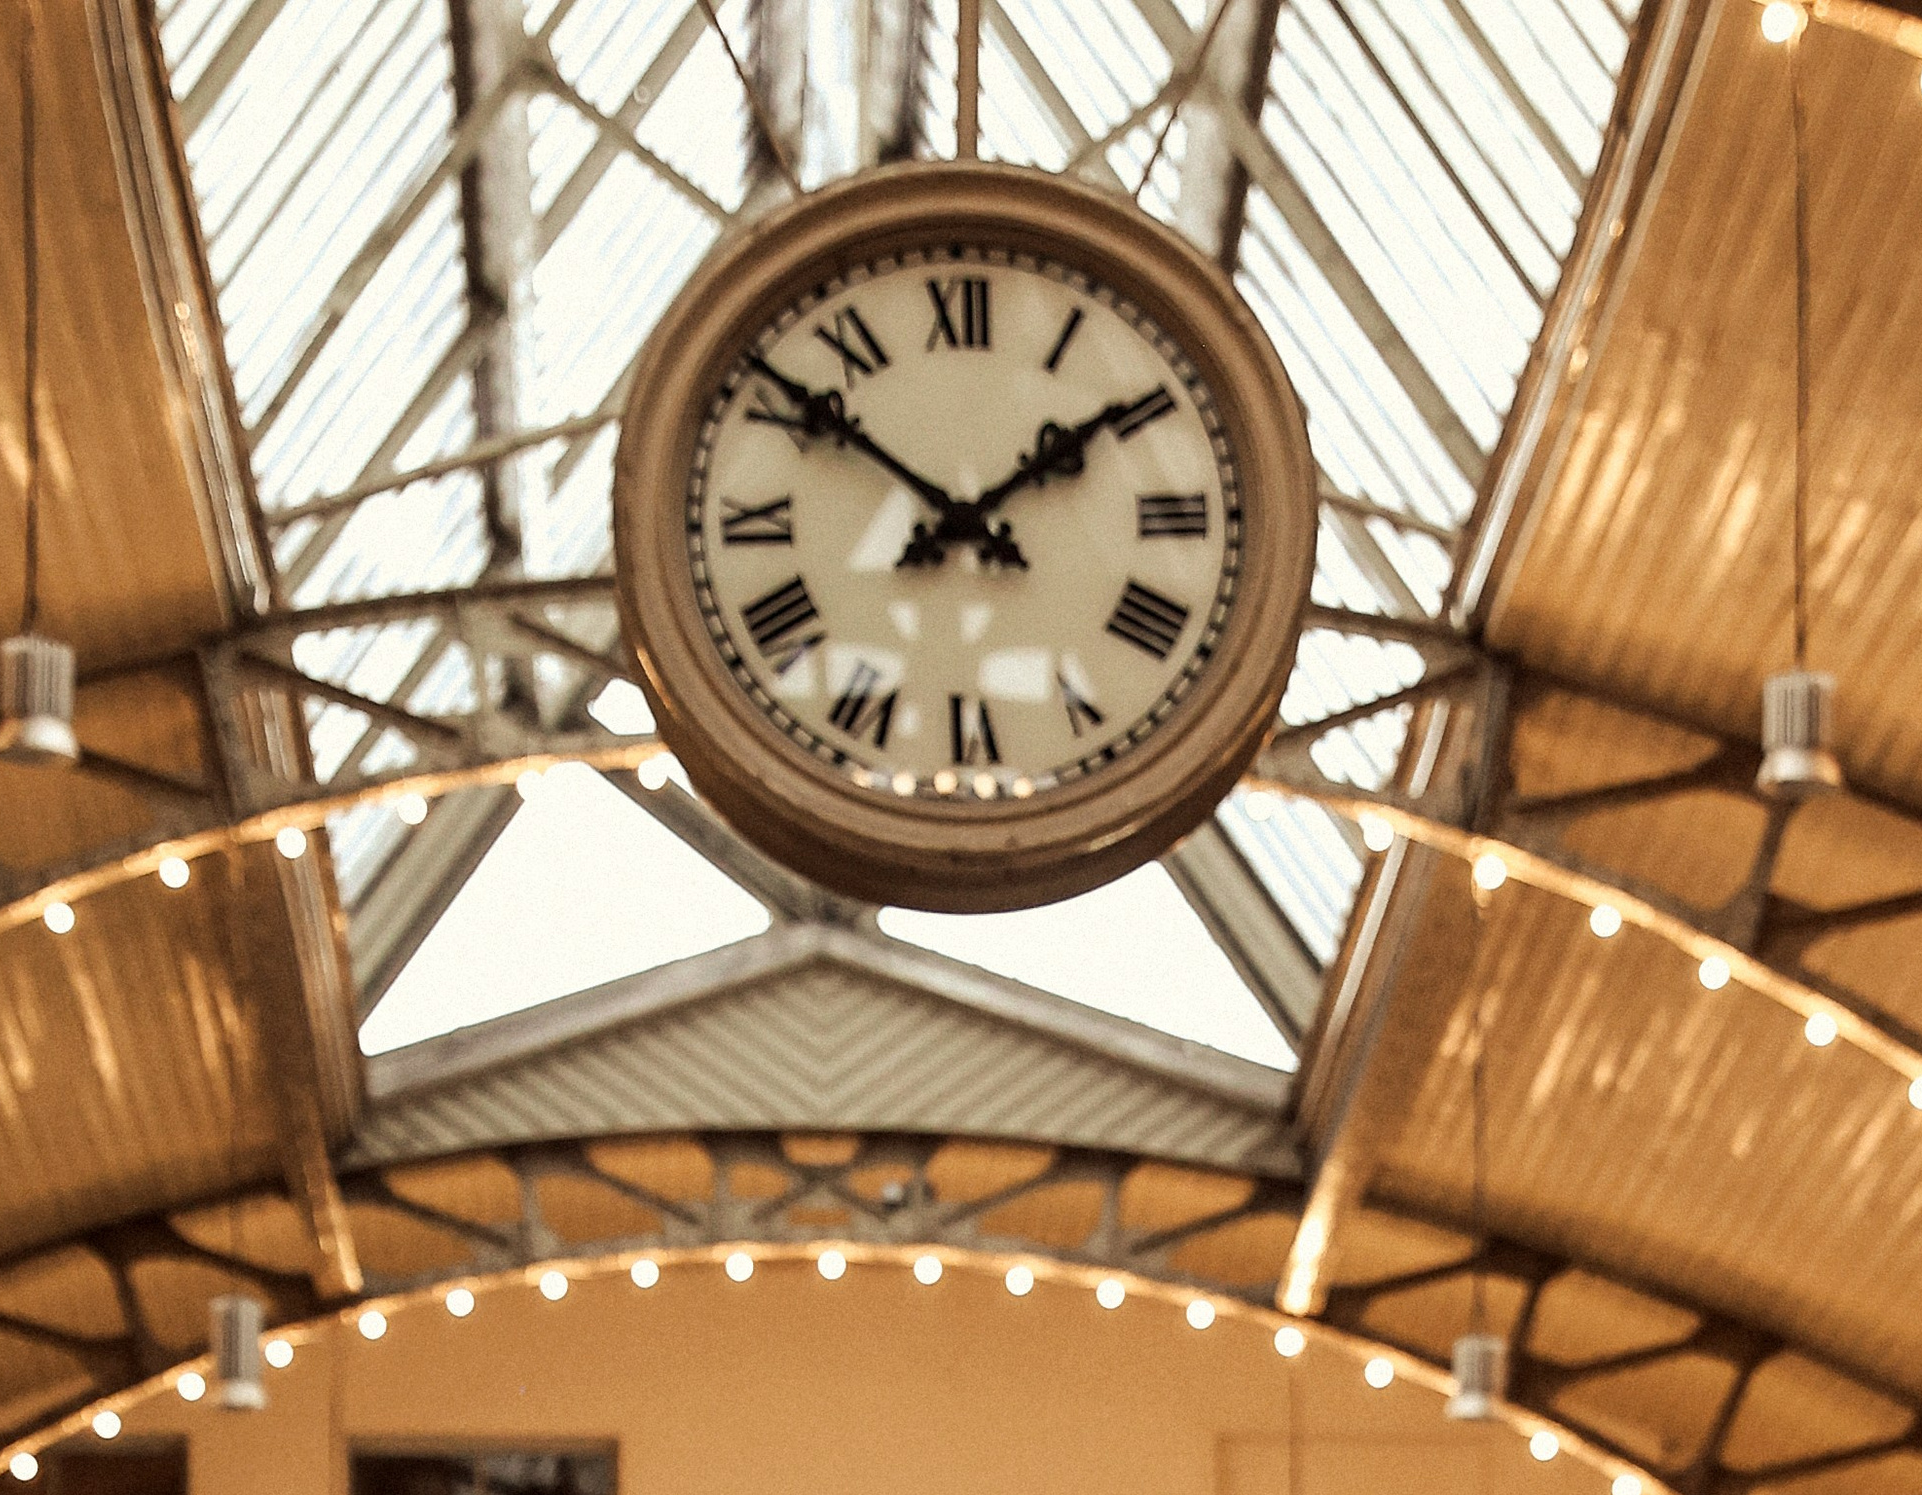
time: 1:51
